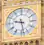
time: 9:28
